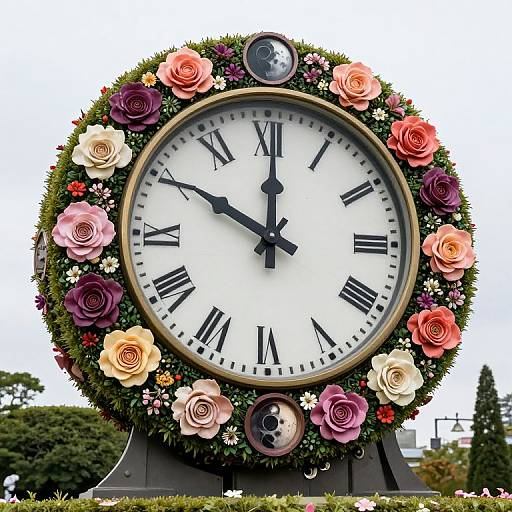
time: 10:00
